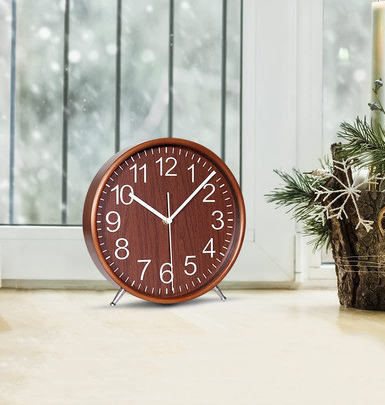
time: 10:07
